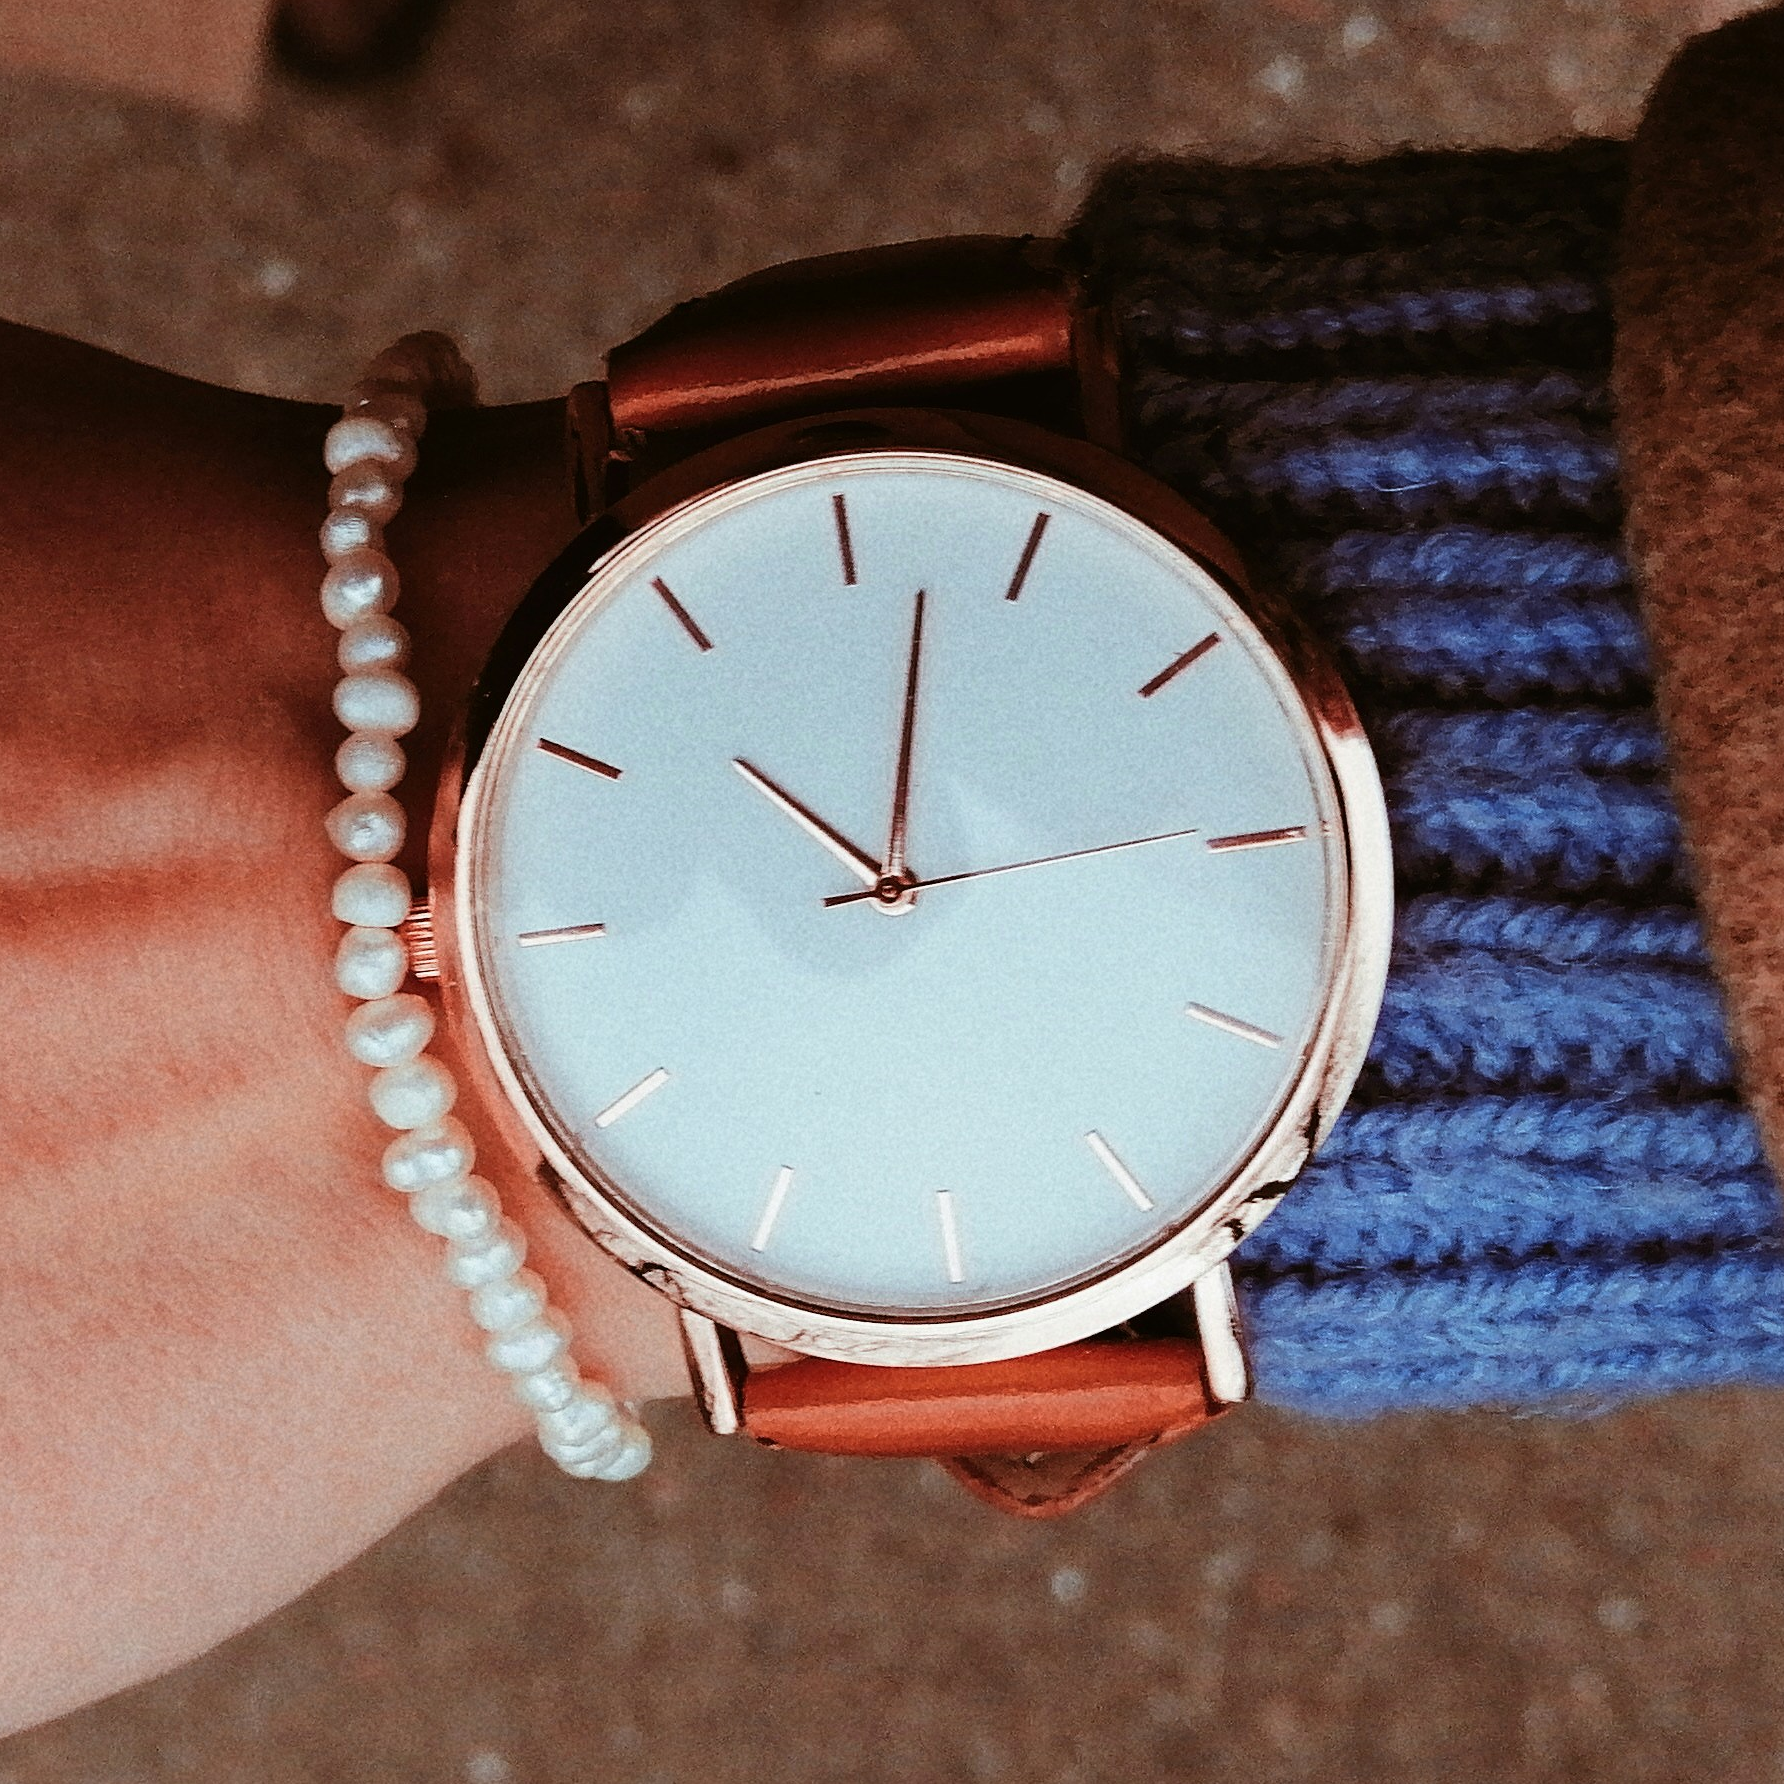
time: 10:02
